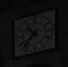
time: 10:37
